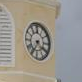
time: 7:20
